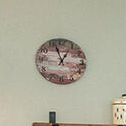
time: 12:56
